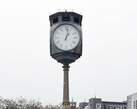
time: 1:02
